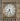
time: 7:26
